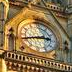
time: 2:42
